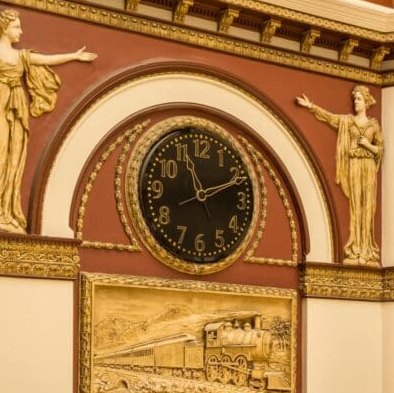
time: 11:11
